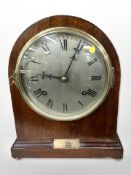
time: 9:04
